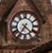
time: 4:35
